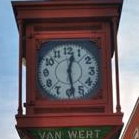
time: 12:28
